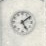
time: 5:08
